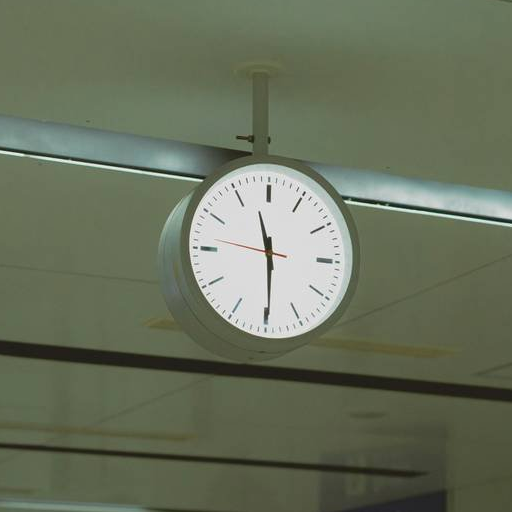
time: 11:29
